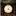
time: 4:07
